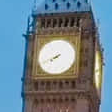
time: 7:40
